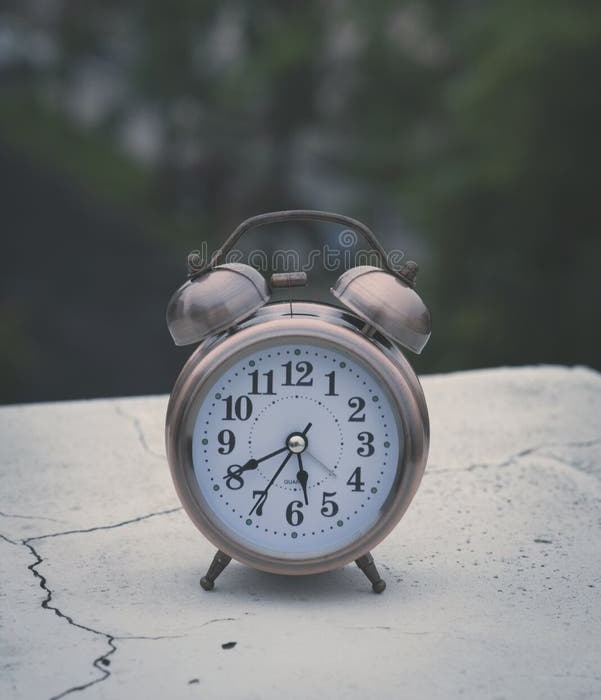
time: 5:40
